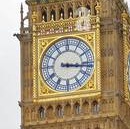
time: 3:16
